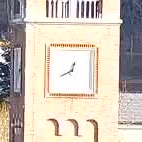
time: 12:40
